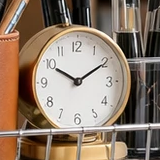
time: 10:09
